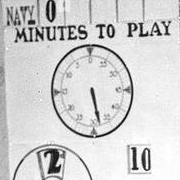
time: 5:28
